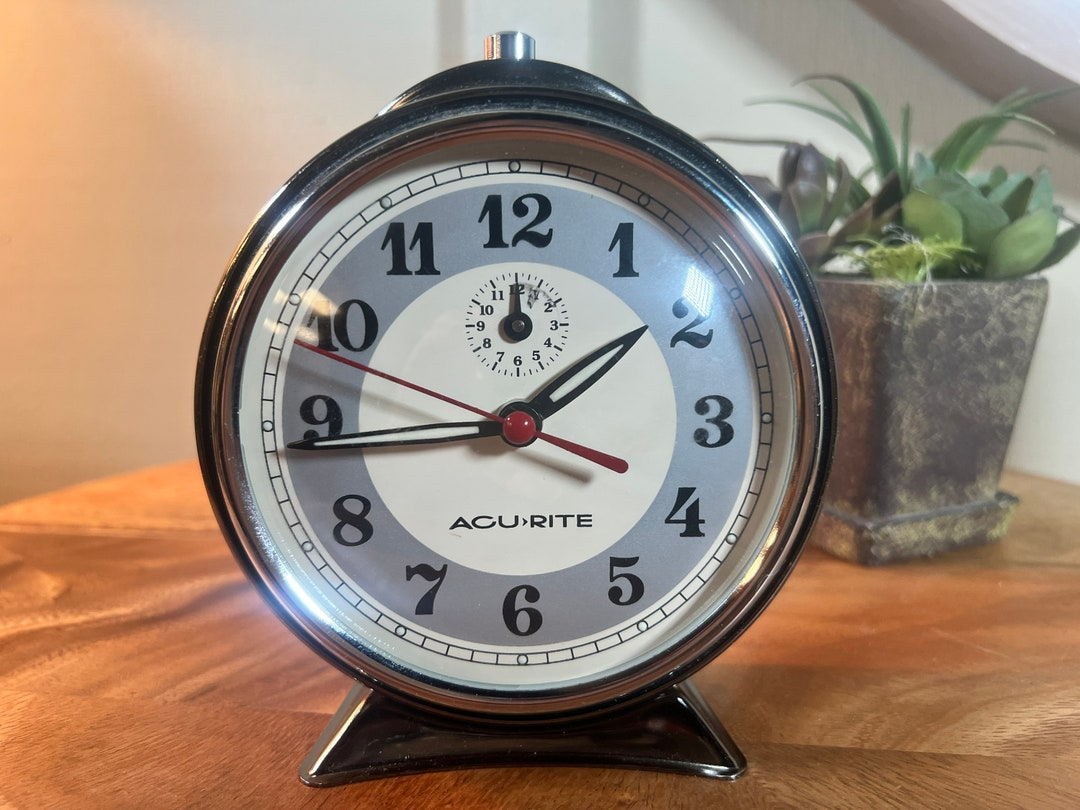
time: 1:43
